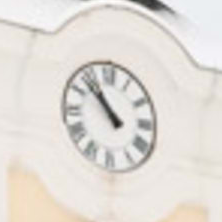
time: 10:52
